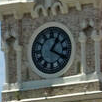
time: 1:19
